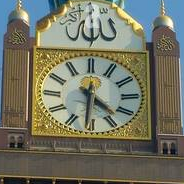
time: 4:31
